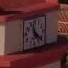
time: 11:22
